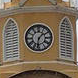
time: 1:32
